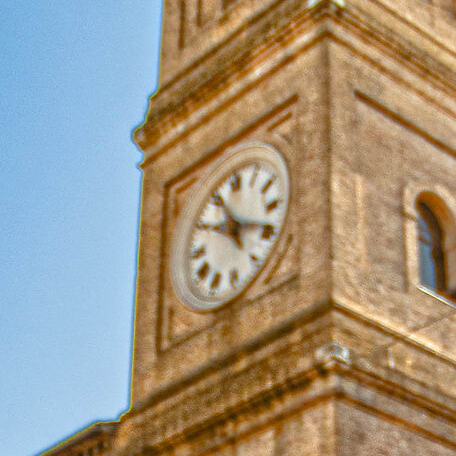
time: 11:18
